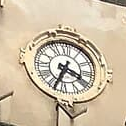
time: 3:33
